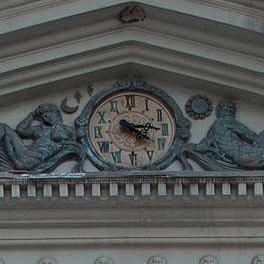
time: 4:14
